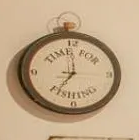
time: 7:00
